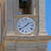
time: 1:39
